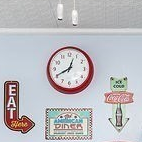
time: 12:40
